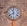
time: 11:40
